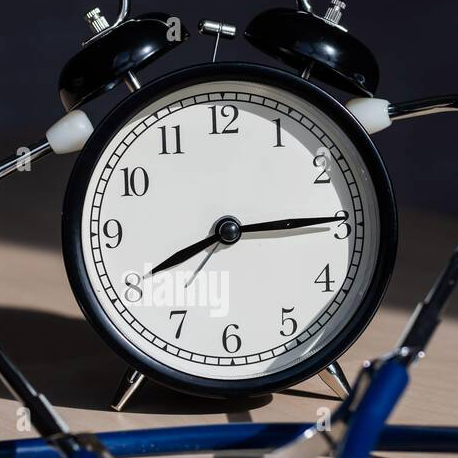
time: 8:14
